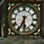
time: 5:34
